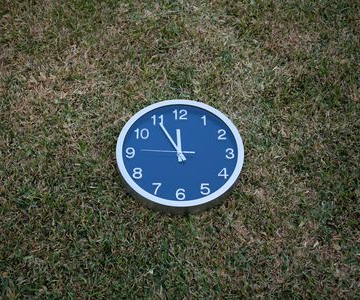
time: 11:54
